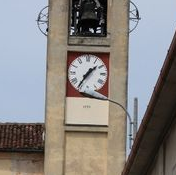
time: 1:35
